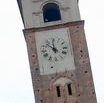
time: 11:52
